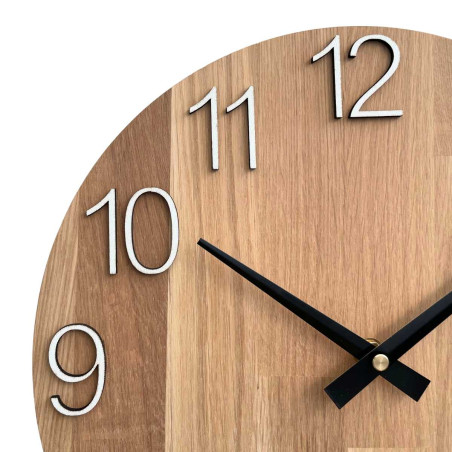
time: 1:50
